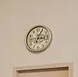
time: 3:04
